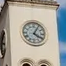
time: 4:04
